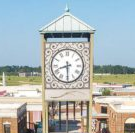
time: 8:29
